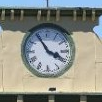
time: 3:54
